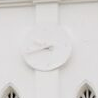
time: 9:42
